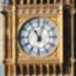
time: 11:03
